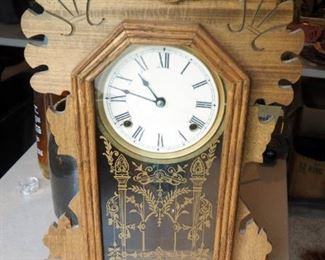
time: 10:47
